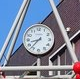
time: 8:37
